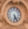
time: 5:24
